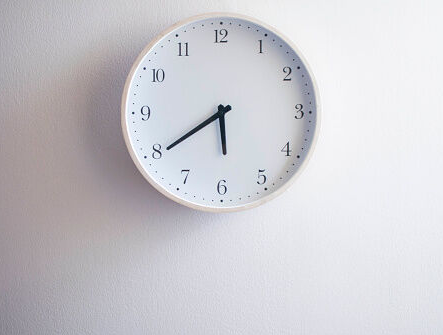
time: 5:39
